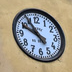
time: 9:54
